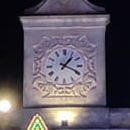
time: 1:18
